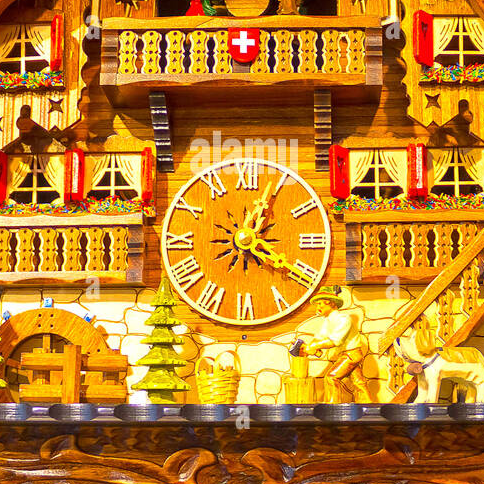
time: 4:03
